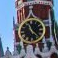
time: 11:22
